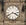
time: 3:40
